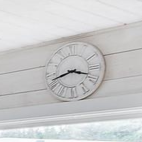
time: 3:42
